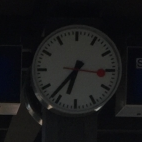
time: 6:36
